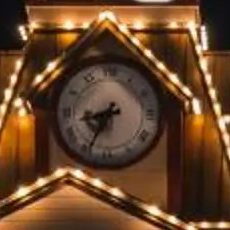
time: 8:35
